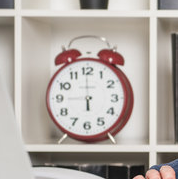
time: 5:59
